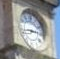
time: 2:42
